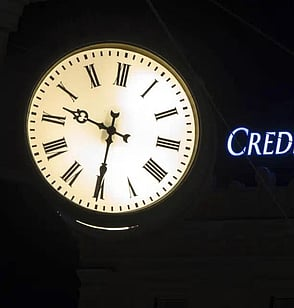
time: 9:30
